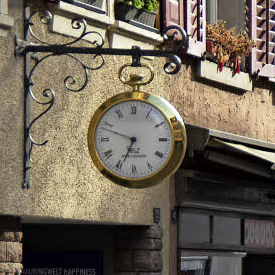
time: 6:48
